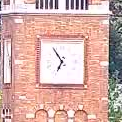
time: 6:54
